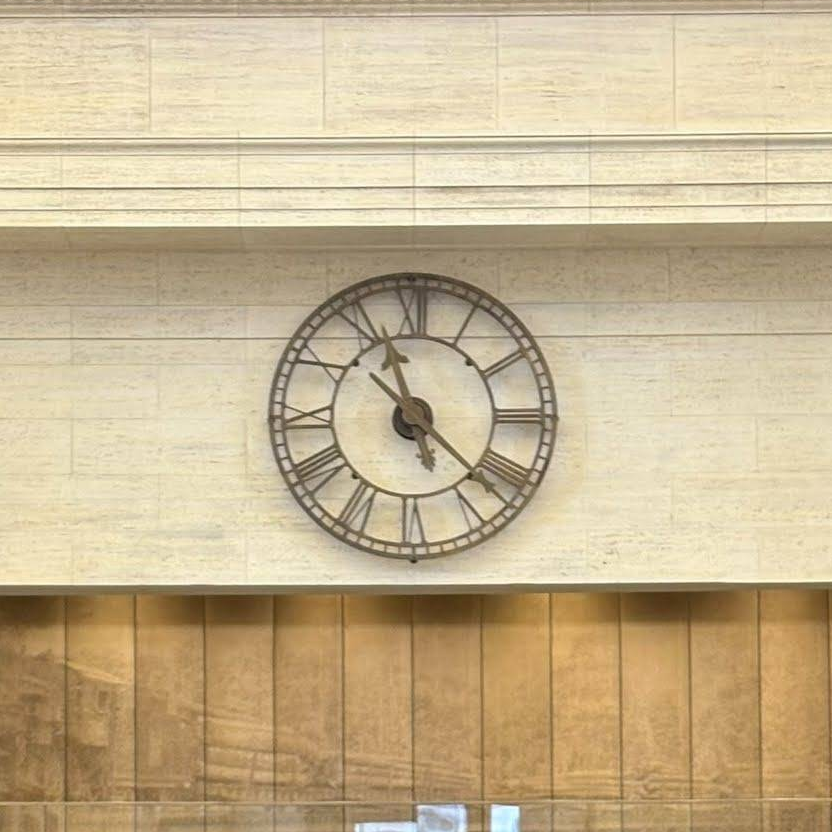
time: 11:21
